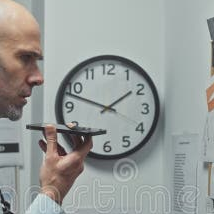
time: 1:48
